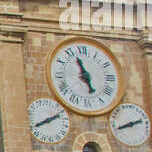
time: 4:56
